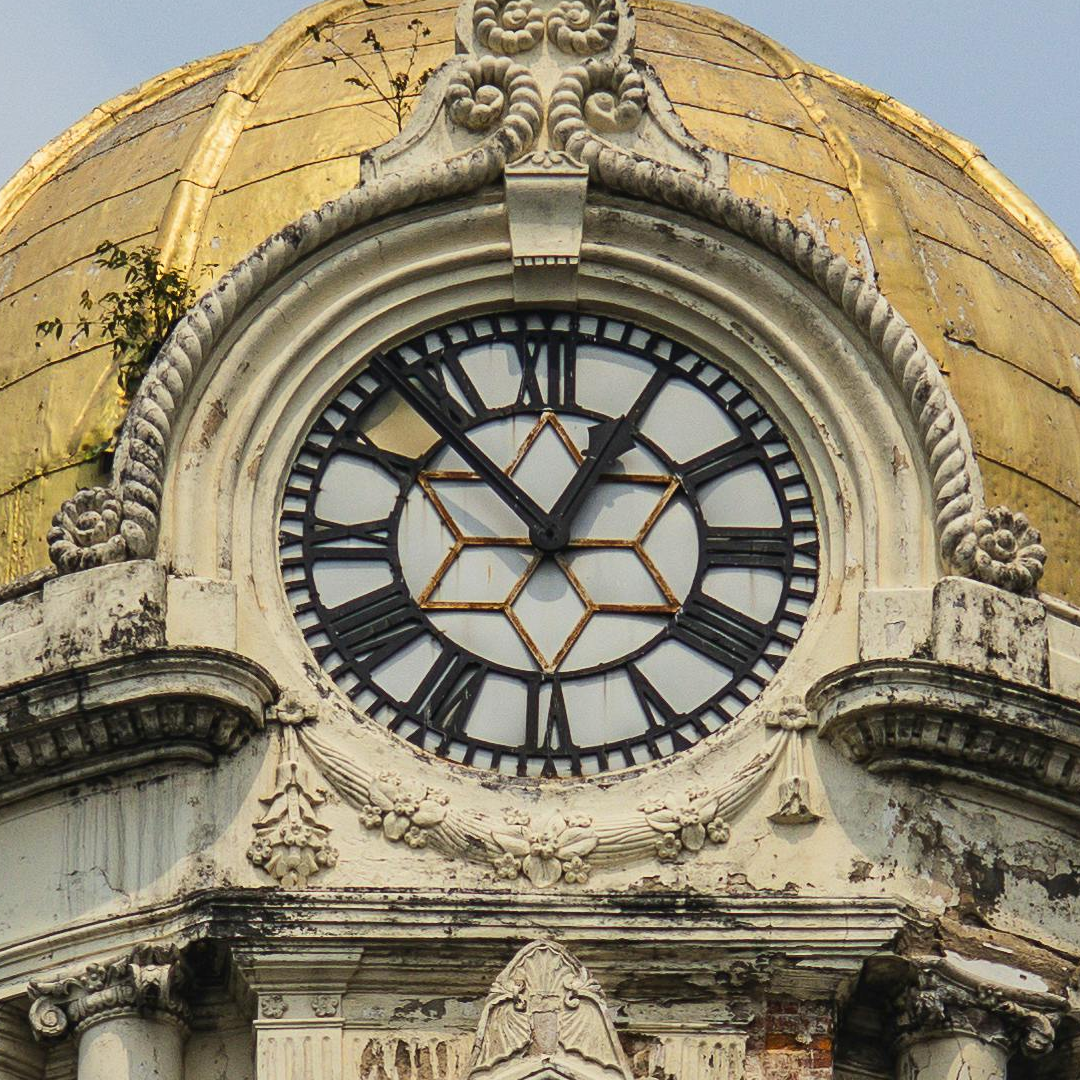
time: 12:53
